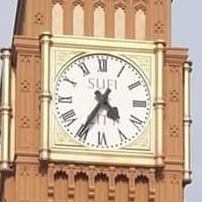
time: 4:35
